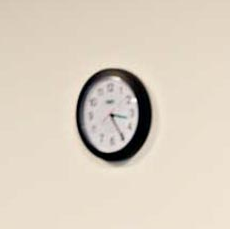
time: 3:24
